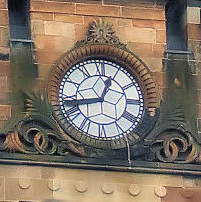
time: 12:43
